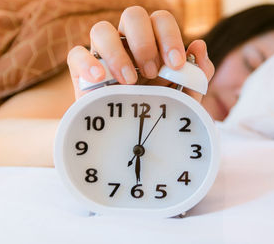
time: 6:00
